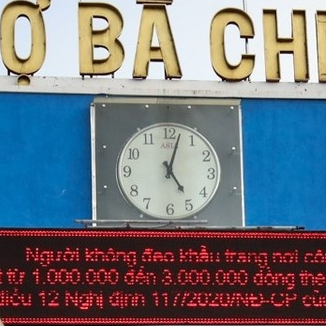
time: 5:02
